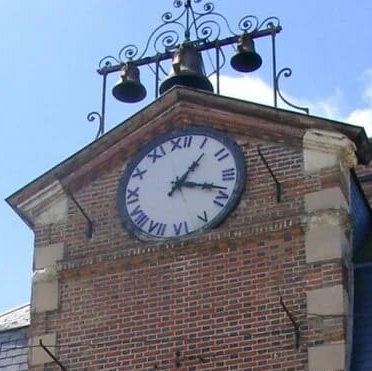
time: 1:18
